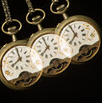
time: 6:54
